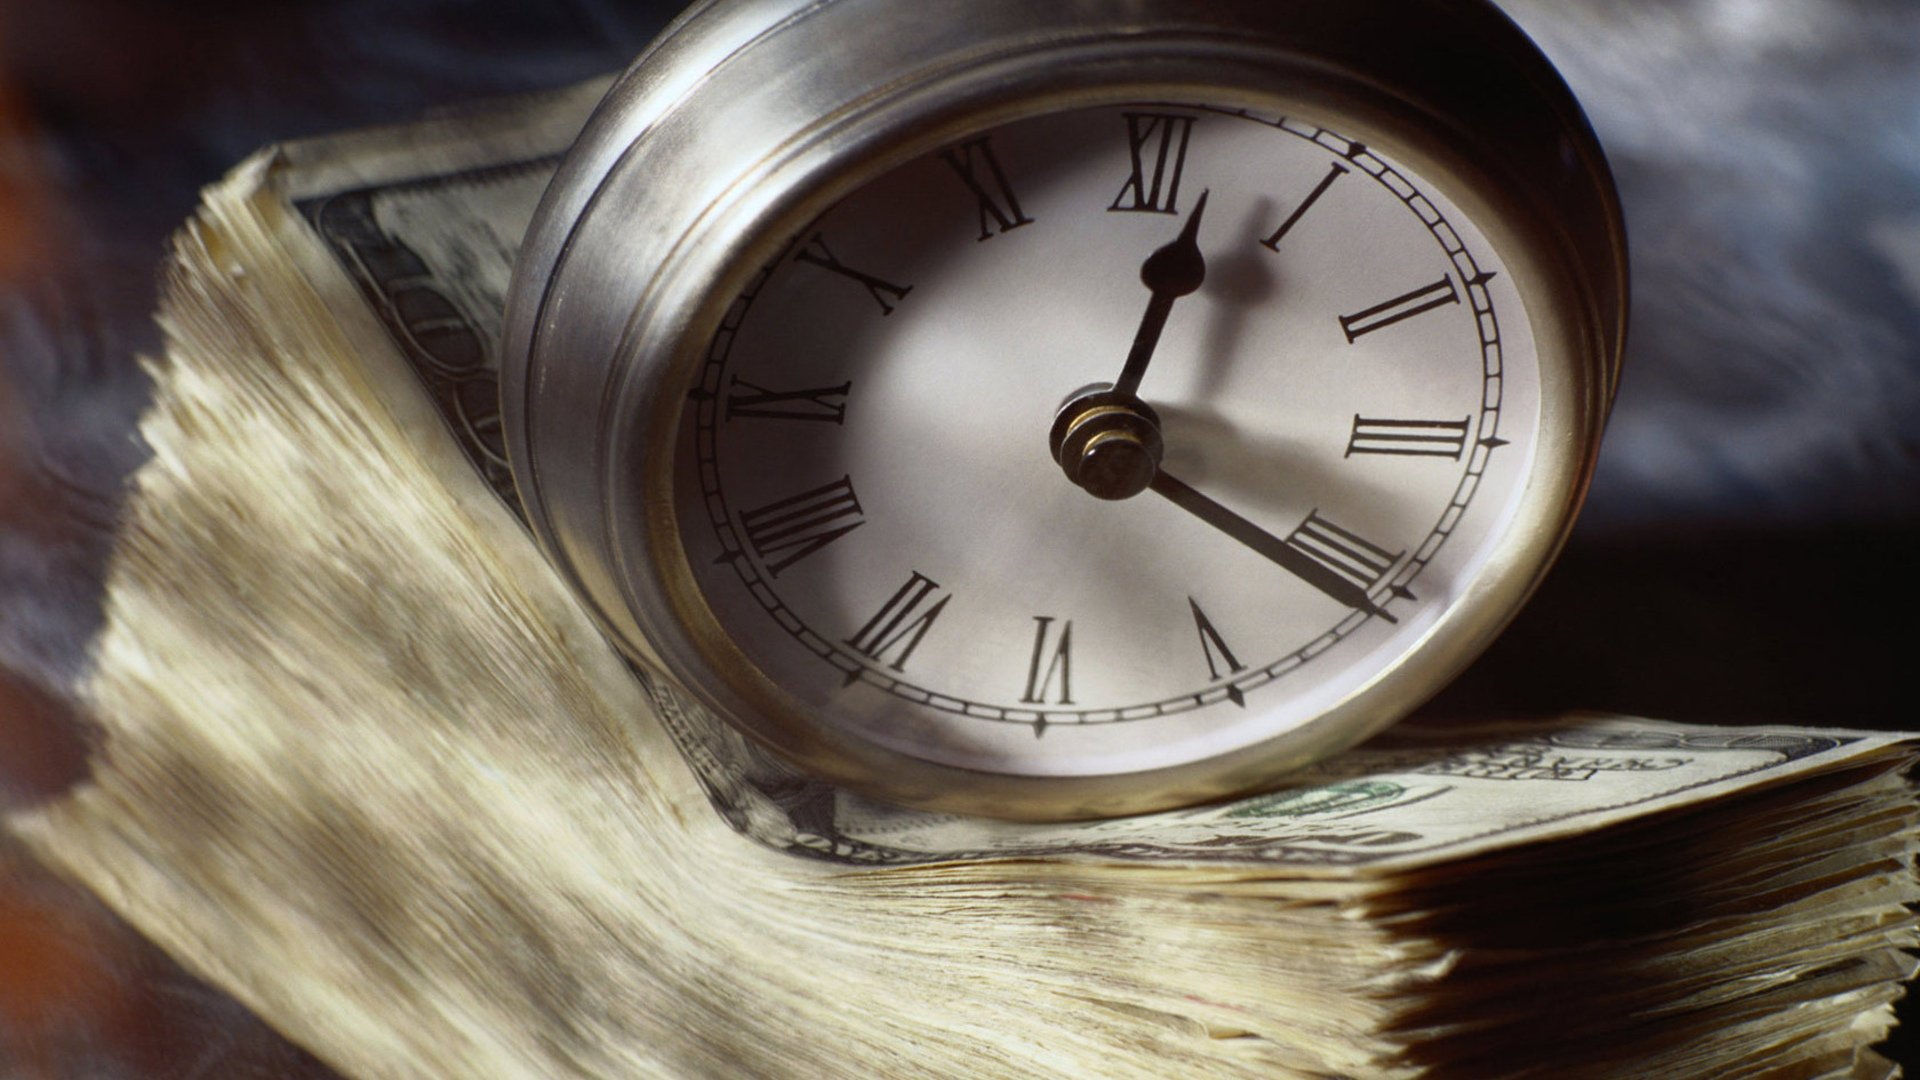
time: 12:20
